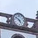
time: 4:50
